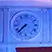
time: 7:37
